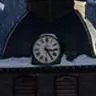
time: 3:24
